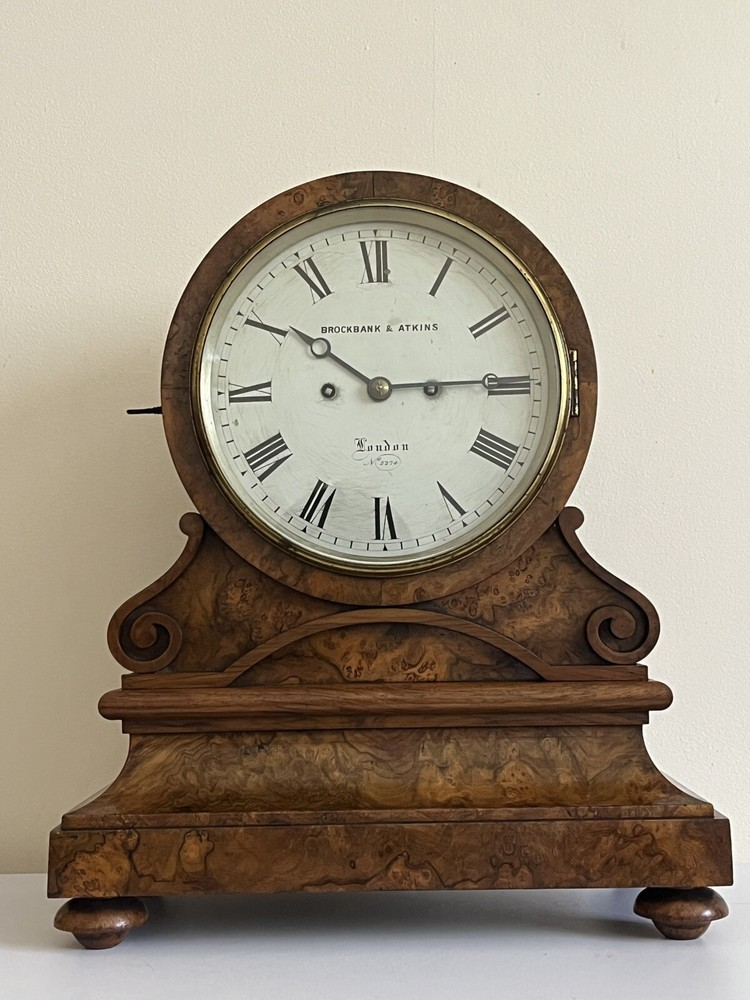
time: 10:14
